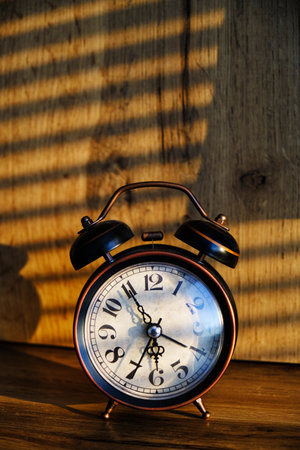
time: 6:55
